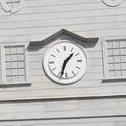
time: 1:33
